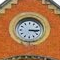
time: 3:14
